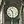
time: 10:28
